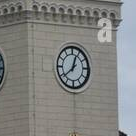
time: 12:38
